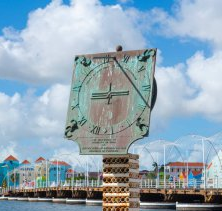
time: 9:15
